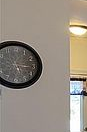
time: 5:15
